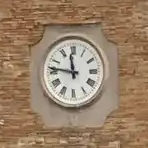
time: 11:46
